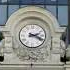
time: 2:18
